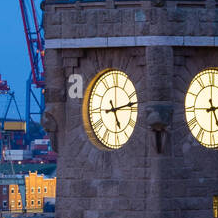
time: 5:13
